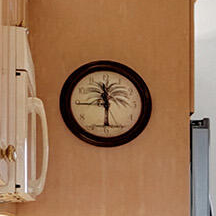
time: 11:29
